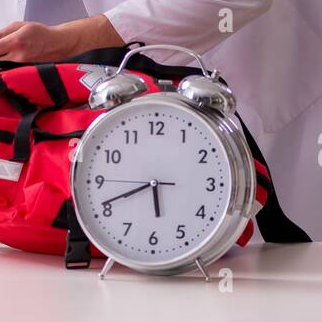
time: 5:41
